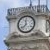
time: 11:37
